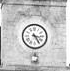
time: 3:24
